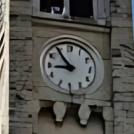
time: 8:54
